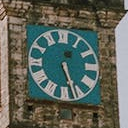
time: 5:26
